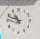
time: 10:48
